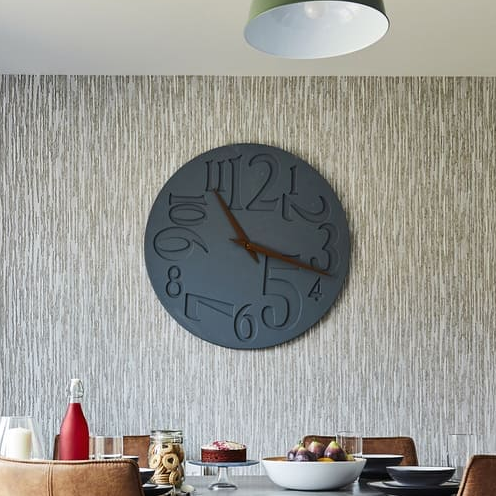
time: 11:18
